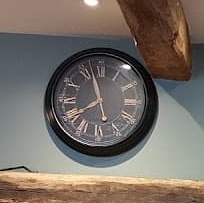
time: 7:57
